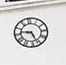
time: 9:26
